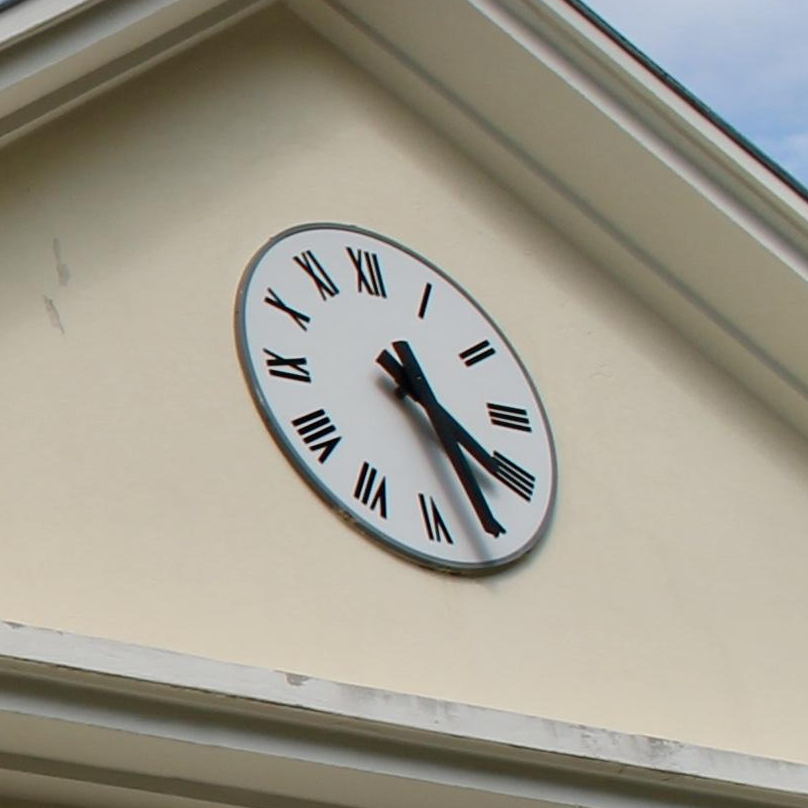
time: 4:26
